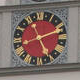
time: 5:11
